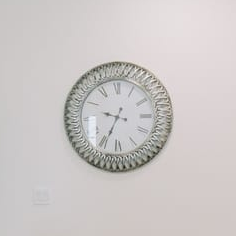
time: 9:34
